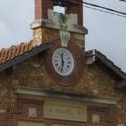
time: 11:32
